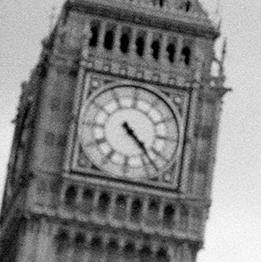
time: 4:22
